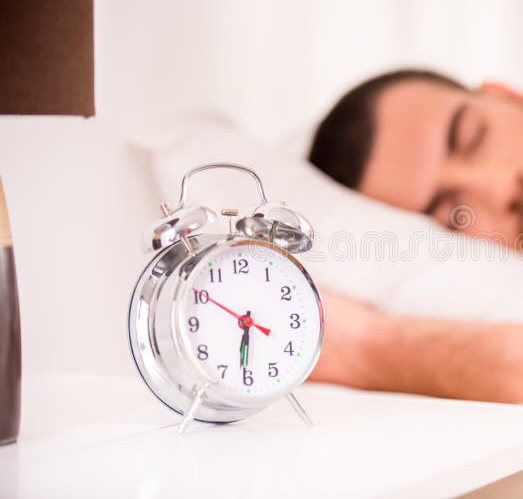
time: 6:31
